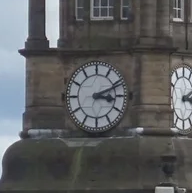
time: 3:11
